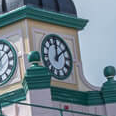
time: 12:09
